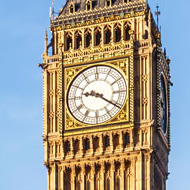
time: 9:20
